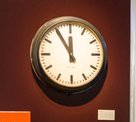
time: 11:54
